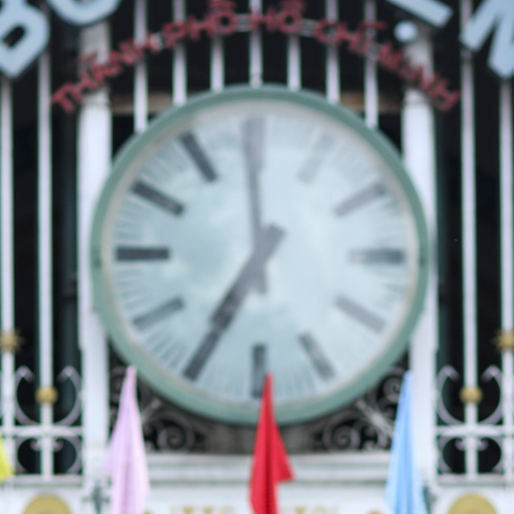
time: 6:59
